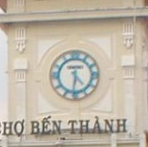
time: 4:31
